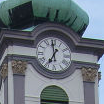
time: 6:59
